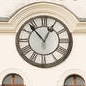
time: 12:53
